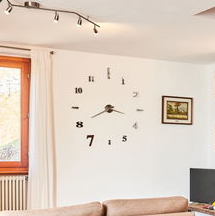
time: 3:40
